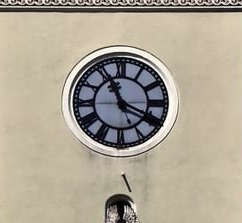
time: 11:19
